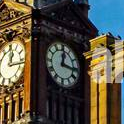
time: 12:16
